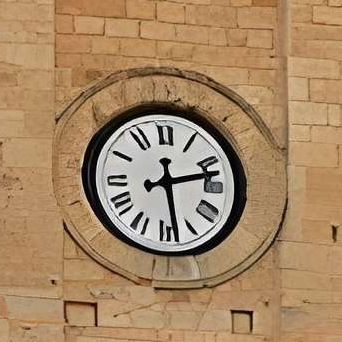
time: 2:28
